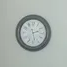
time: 2:28
